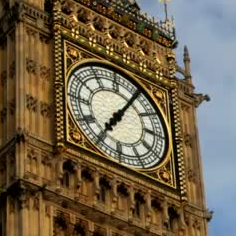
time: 7:05
